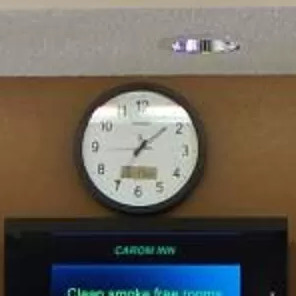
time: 7:08
